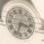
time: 3:33
